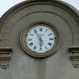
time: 5:54
